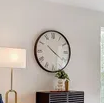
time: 10:20
